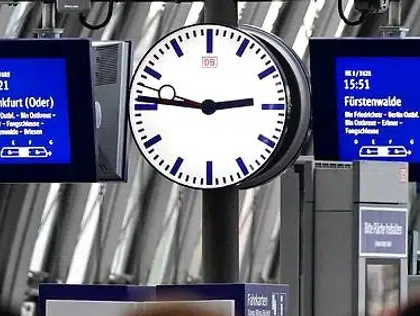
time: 2:46
